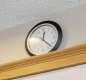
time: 12:22
